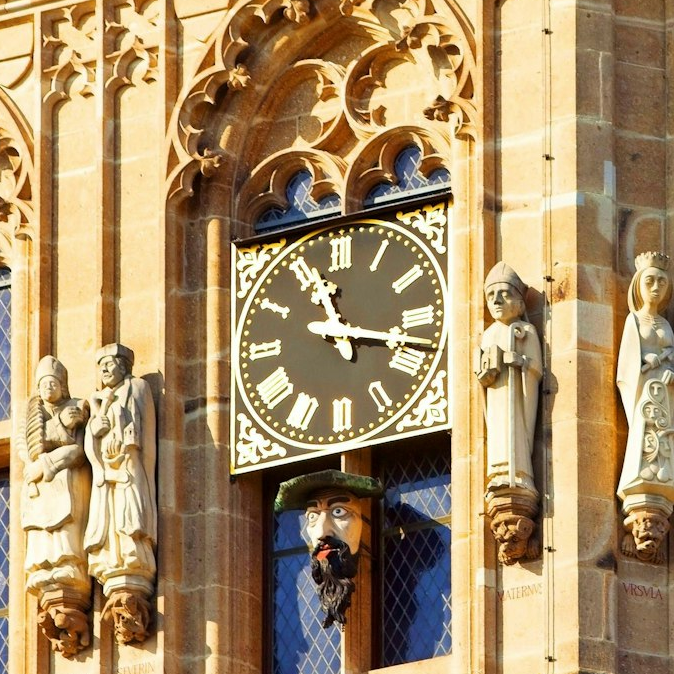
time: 11:17
